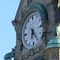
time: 6:23
